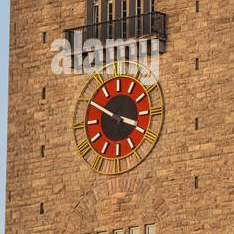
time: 3:50
